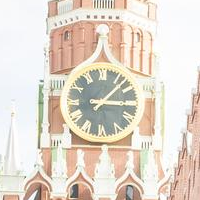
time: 3:07
